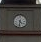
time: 4:31
